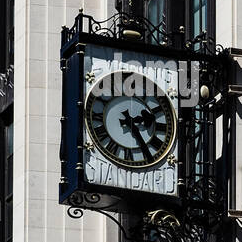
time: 2:23
